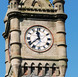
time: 11:38
